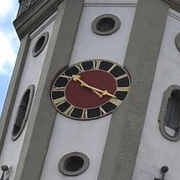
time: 3:51
